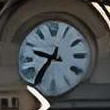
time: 9:36
